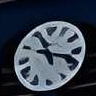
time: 11:17
